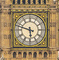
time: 5:47
